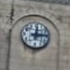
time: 12:14
